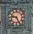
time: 9:26
